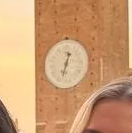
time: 12:32
